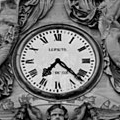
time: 7:22
